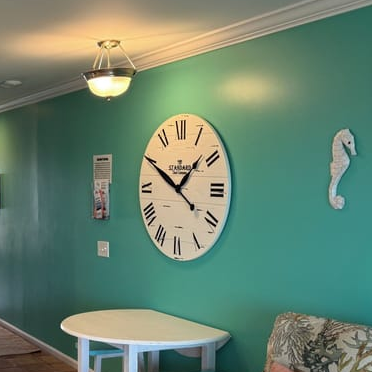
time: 1:50
